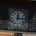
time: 12:14
